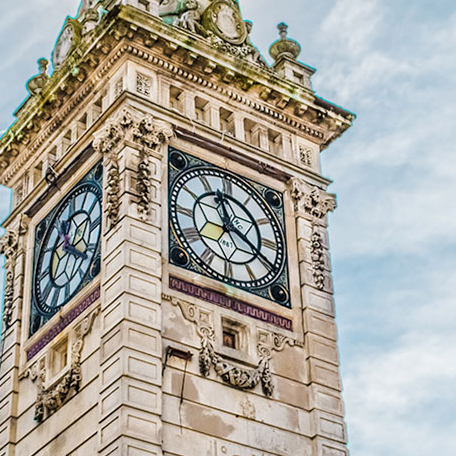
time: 11:19
